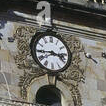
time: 3:44
